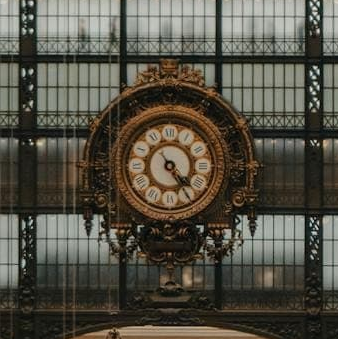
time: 4:23
